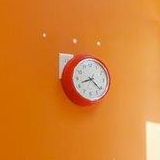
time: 8:21
